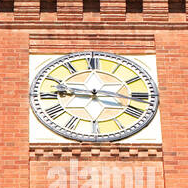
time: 9:17
